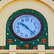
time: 10:22
